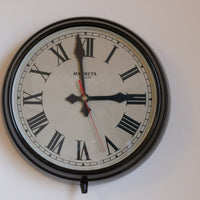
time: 2:58
